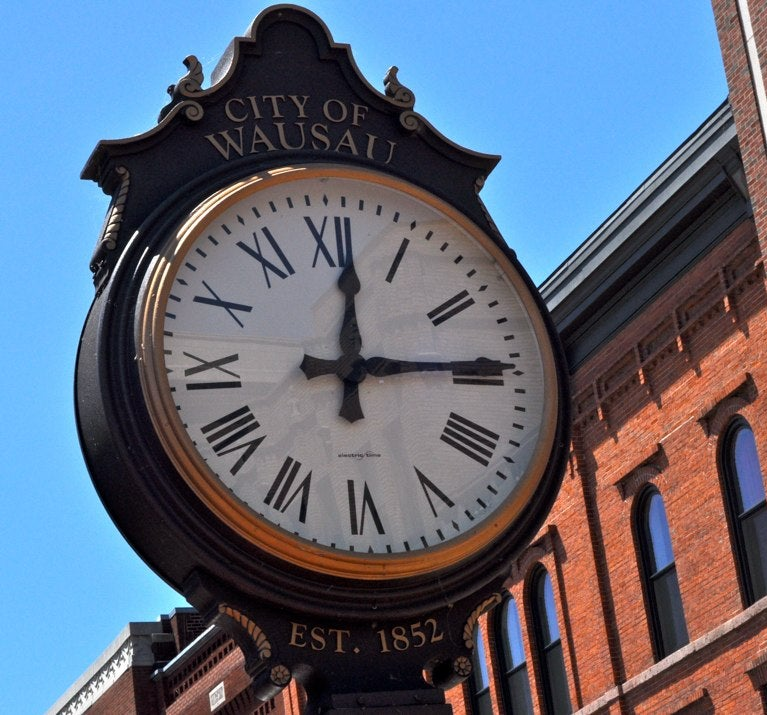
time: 12:14
